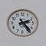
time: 2:23
